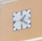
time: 1:22
